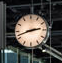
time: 2:42
